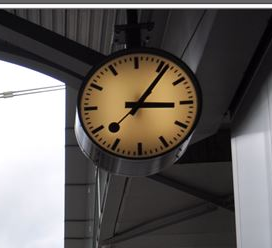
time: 3:06
